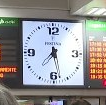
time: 7:28
